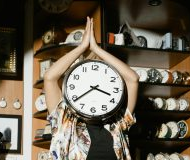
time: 3:39
